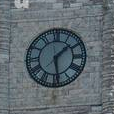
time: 1:28
